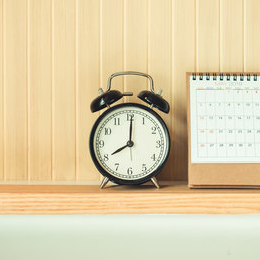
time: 8:00
